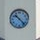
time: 10:22
